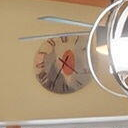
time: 4:35
